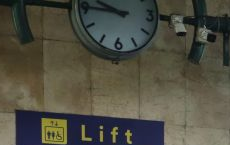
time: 9:45
